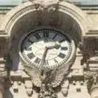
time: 2:32
